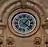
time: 1:21
